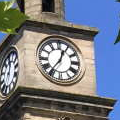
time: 12:36
